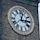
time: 12:14
